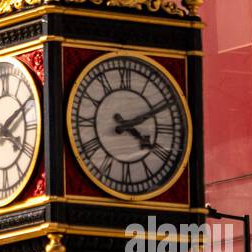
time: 4:10
